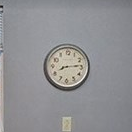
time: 8:14
